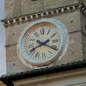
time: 8:20
